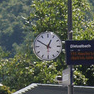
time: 12:50
